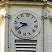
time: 8:38
